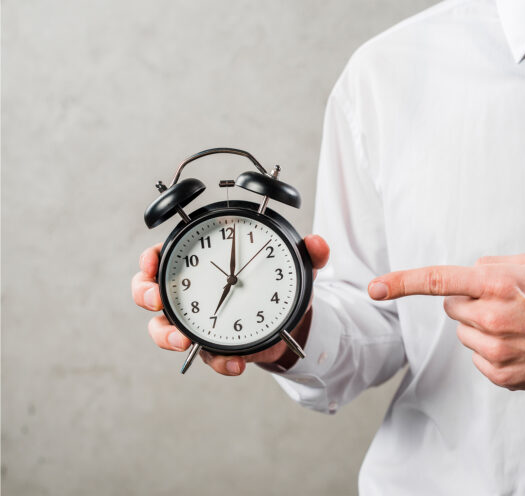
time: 7:01
